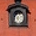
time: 5:12
